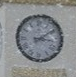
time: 3:09
